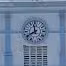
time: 11:40
